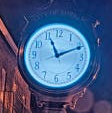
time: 11:11
